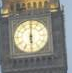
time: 6:00
